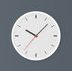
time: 10:07
